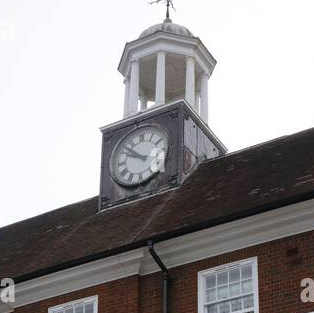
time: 9:51
